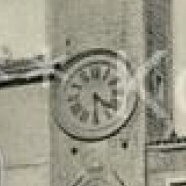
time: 4:29
